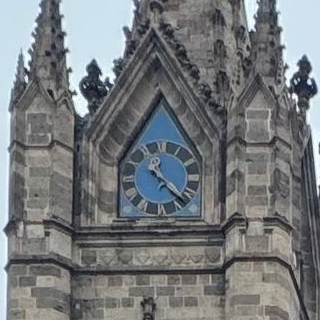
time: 11:22
